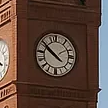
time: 9:50
